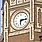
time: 6:15
